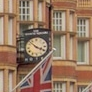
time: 3:52
